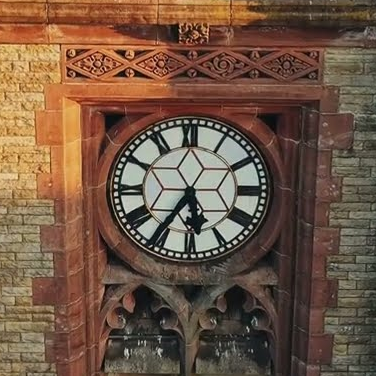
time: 5:35
